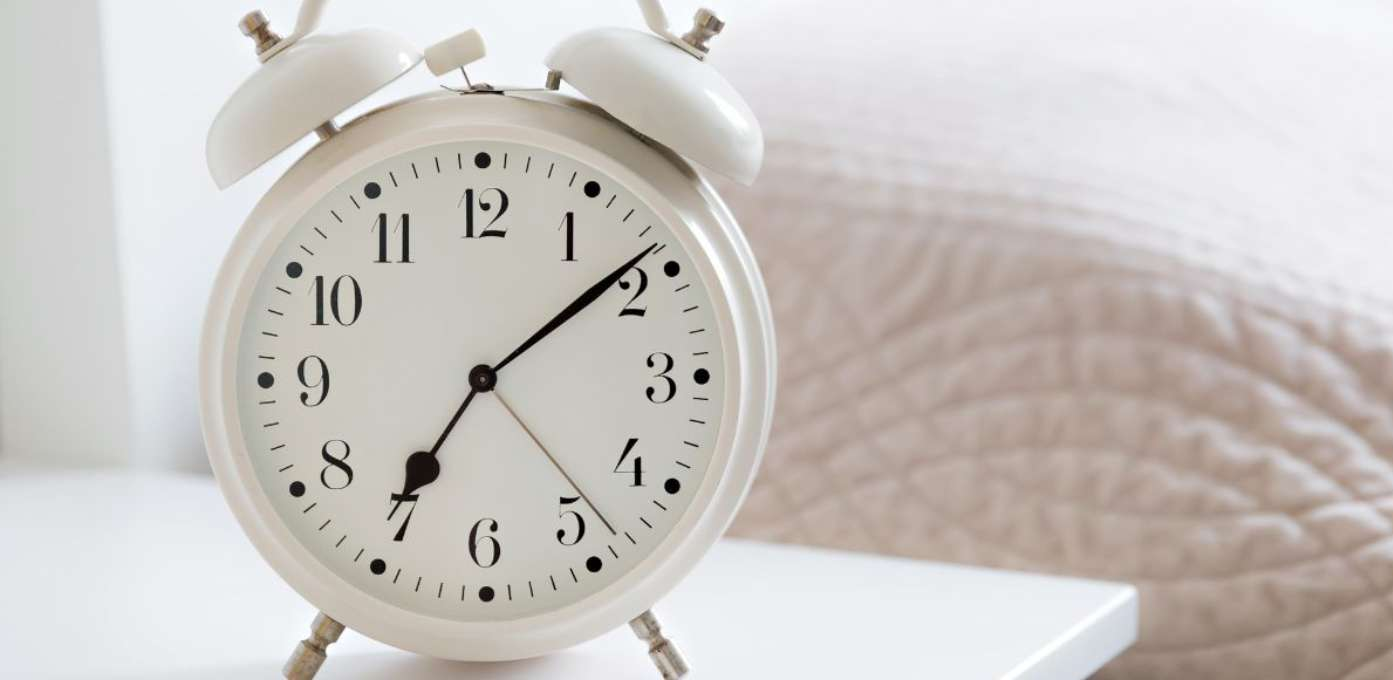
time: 7:08
